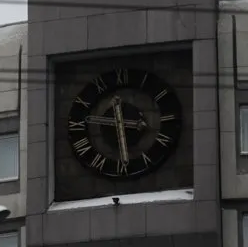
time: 11:29
